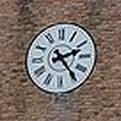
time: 2:24
